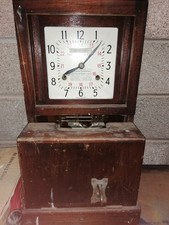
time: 8:07
